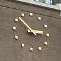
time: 2:52
